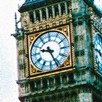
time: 9:26
